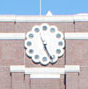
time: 5:26
